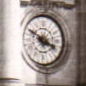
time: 3:48
